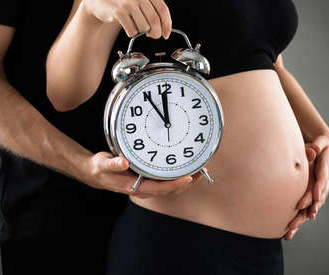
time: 11:54
